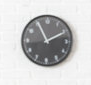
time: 11:10
